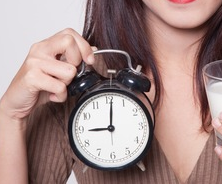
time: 9:01
